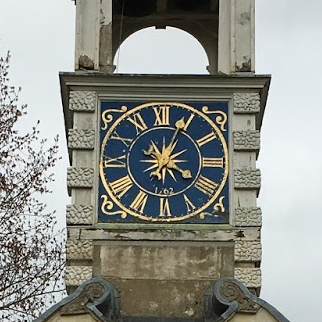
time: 4:04
